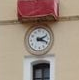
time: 2:18
